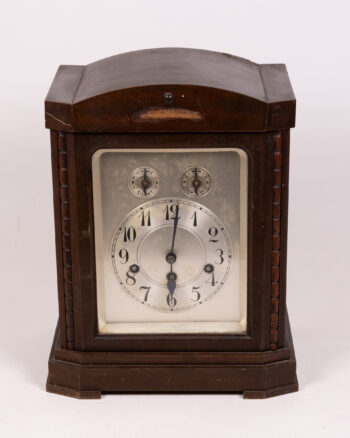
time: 6:02
